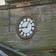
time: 9:05
